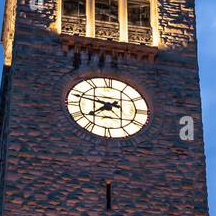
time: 7:47
